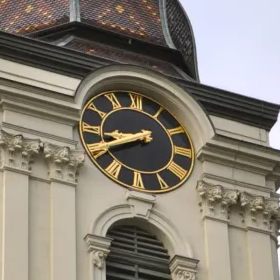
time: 8:40
